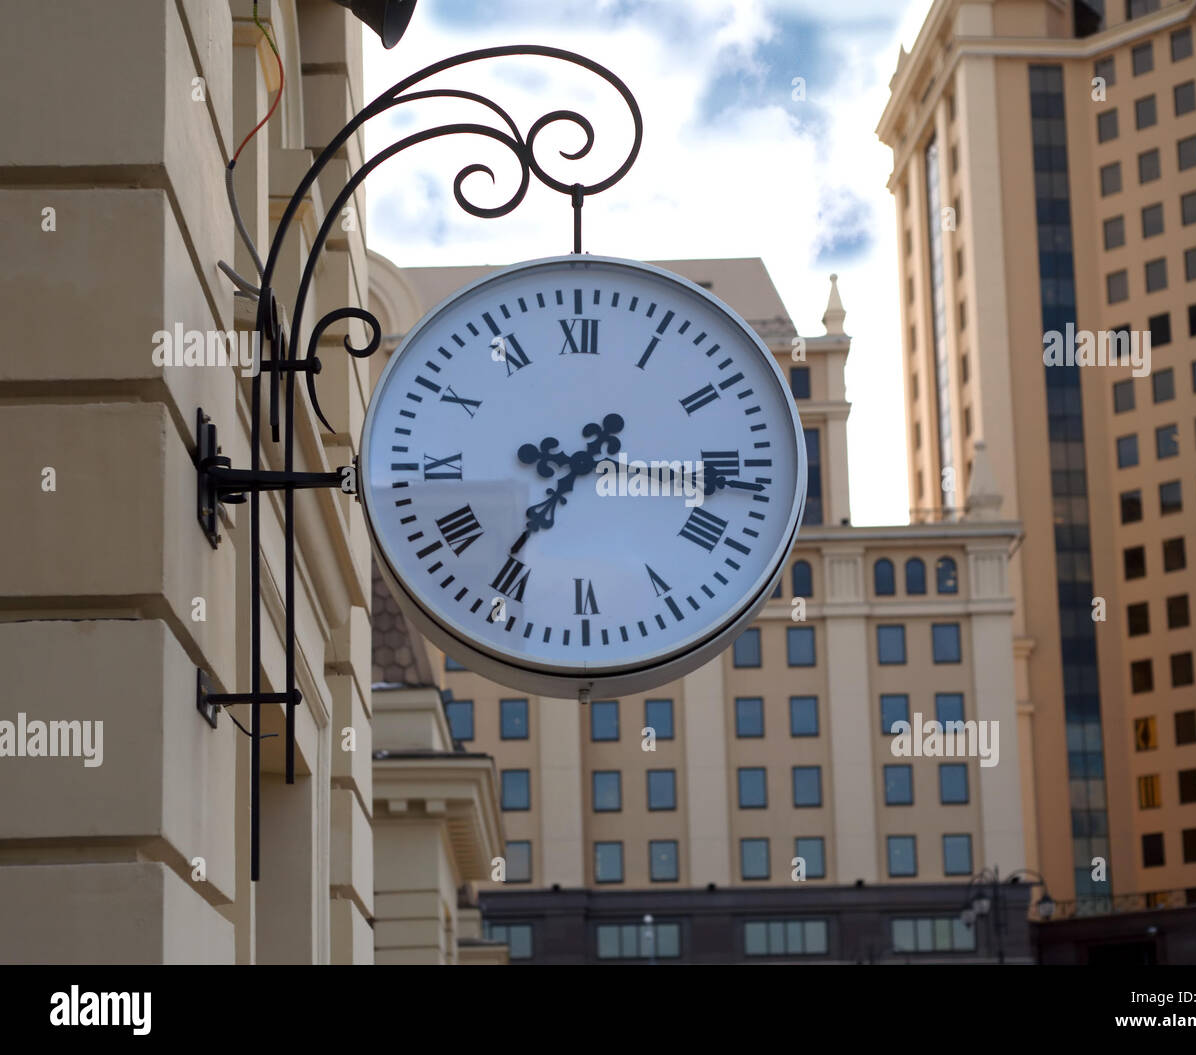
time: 8:36
